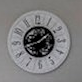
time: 1:42
